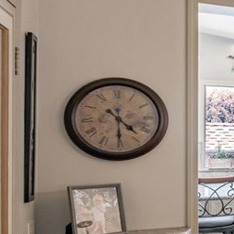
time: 4:30
